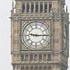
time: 9:15
